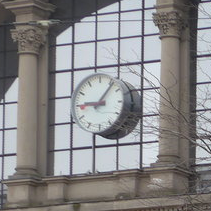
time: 9:06
